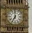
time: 7:00
